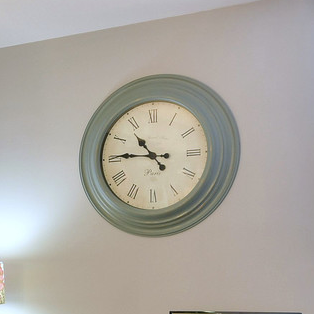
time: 10:45
